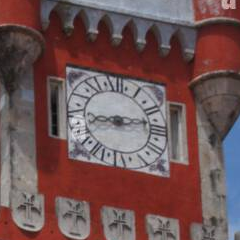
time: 8:12
